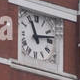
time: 11:12
